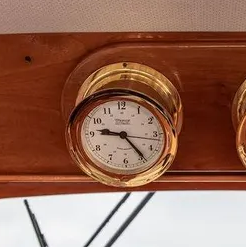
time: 9:23
